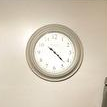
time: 4:22
